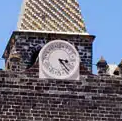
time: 3:23
